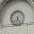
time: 6:25
